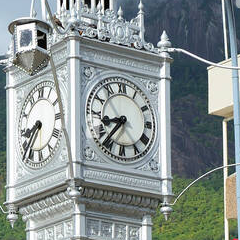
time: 8:36
